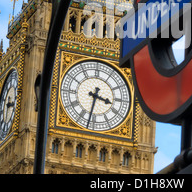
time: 3:32
